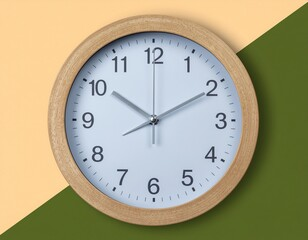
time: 10:10
